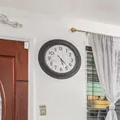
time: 5:22
